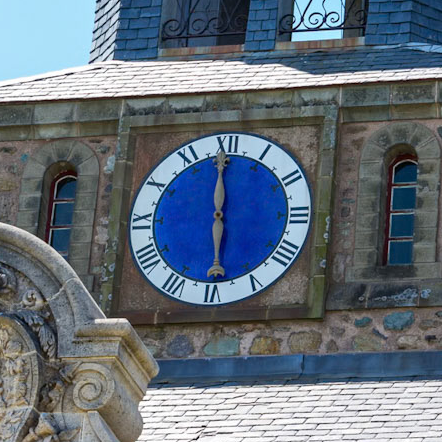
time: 5:59
